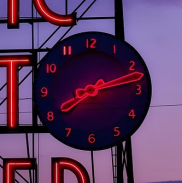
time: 8:13
